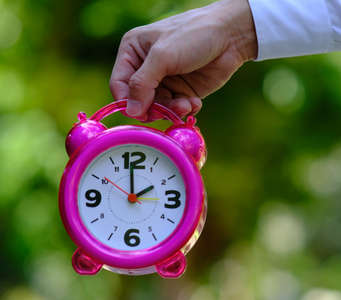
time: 1:59
